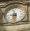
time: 8:27
